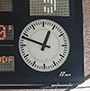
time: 12:48
